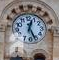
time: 12:26
